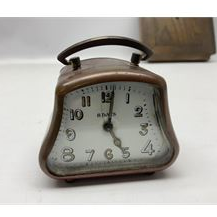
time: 5:01
